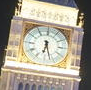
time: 6:27
